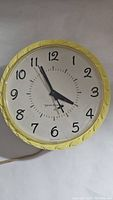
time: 3:55
